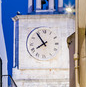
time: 7:54
